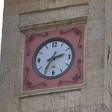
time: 2:35
